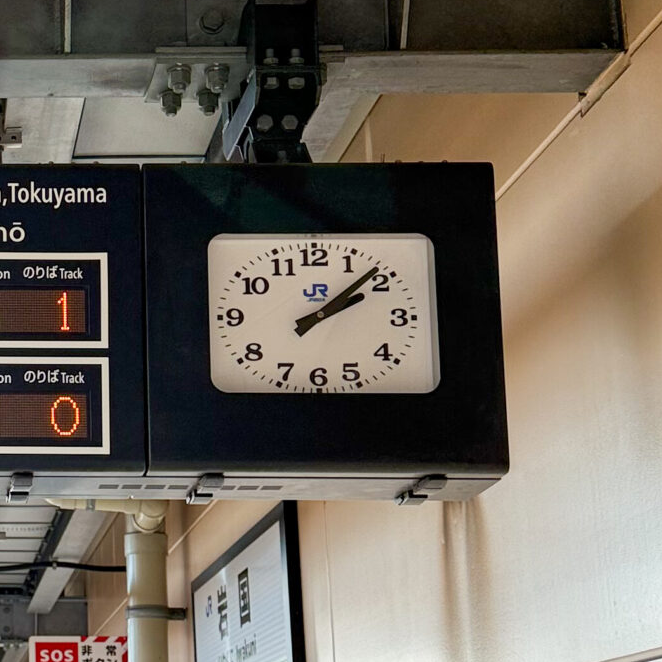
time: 2:08
